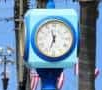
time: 11:32
